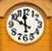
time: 11:49
